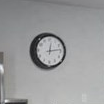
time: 12:13
